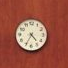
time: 4:34
